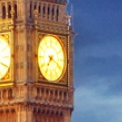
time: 7:19
